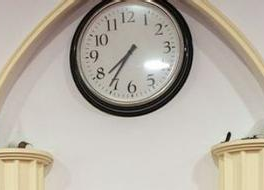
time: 7:35
